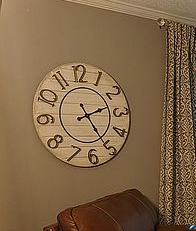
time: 2:25
